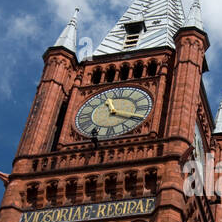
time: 11:19
